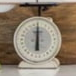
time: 5:59
